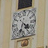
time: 4:33
